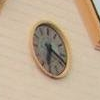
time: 6:18
